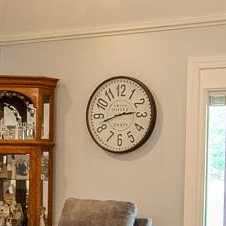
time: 2:42
